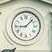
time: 9:07
